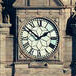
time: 1:51
